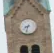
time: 8:32
